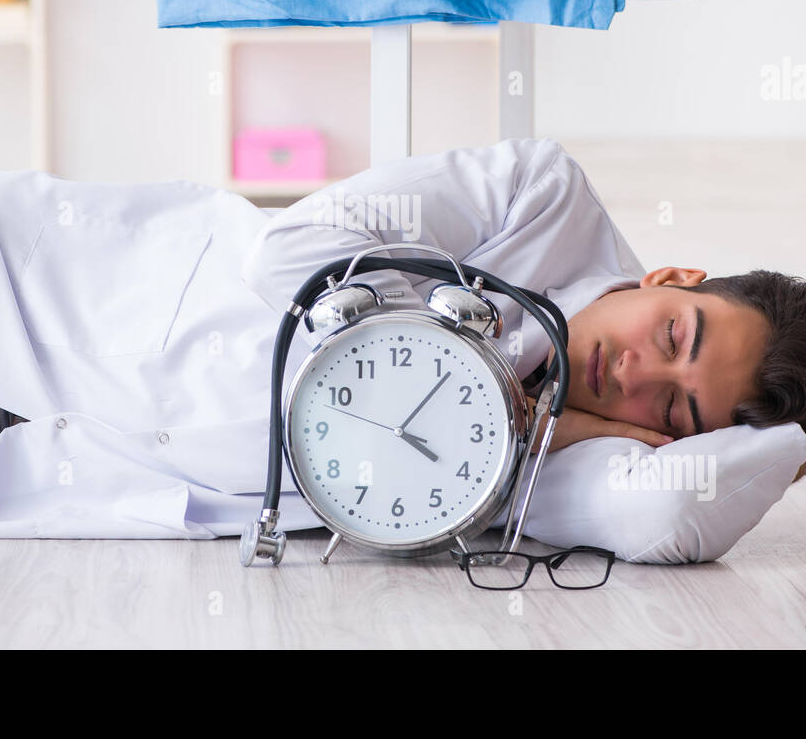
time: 4:06
